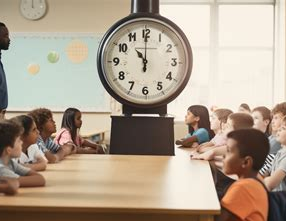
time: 11:00
